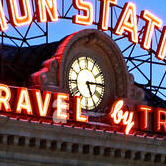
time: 5:14
